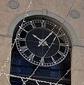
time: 10:06
